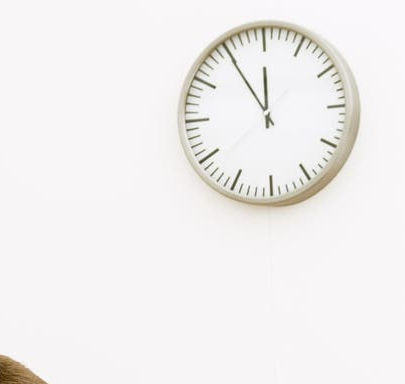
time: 11:54
